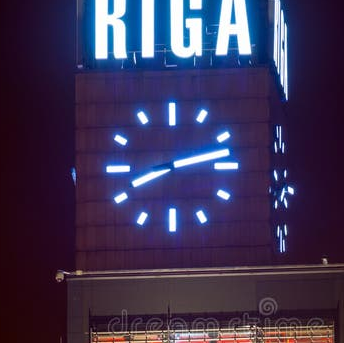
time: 8:12
